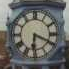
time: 6:19
